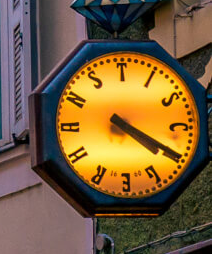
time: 4:19
